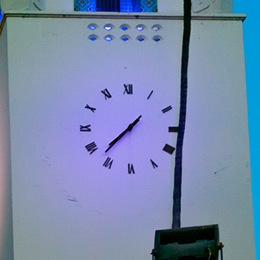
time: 7:37
